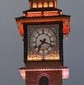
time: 7:18
